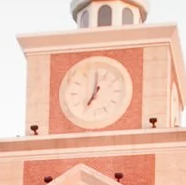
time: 7:01
